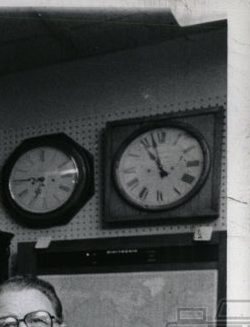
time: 10:57
